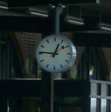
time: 12:46
